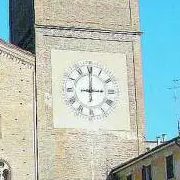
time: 3:00
